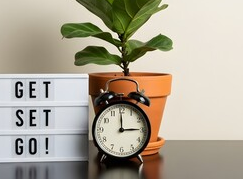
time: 2:59
